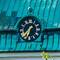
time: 1:33
